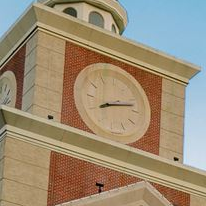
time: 8:12
